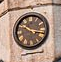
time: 10:16
